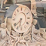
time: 6:38
